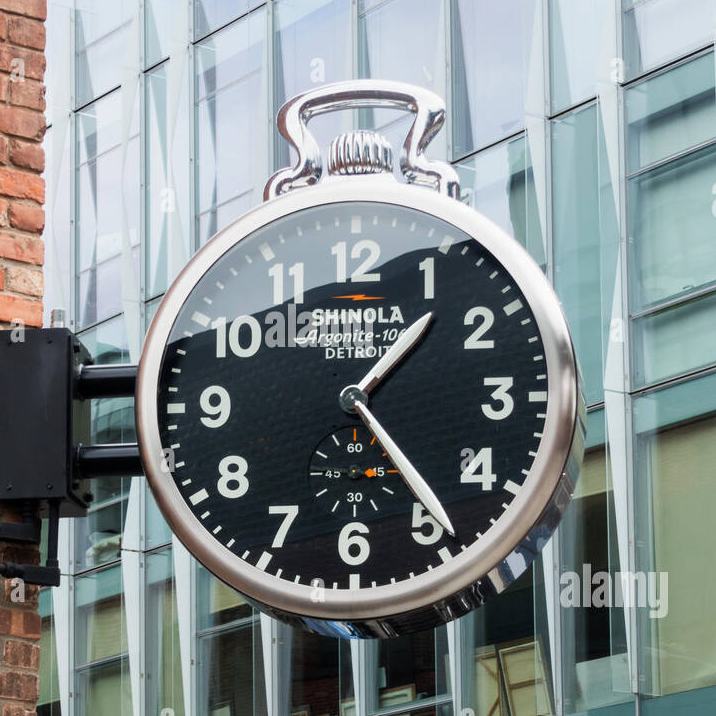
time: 1:23
